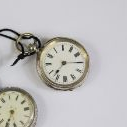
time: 7:15
